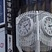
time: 2:23
